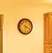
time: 6:20
